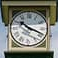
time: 10:18
